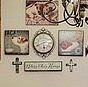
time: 5:40
